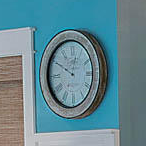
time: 12:49
